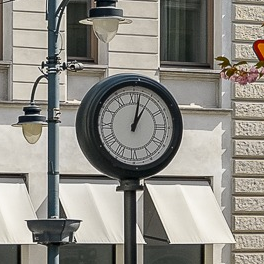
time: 1:01
